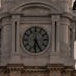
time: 6:25
